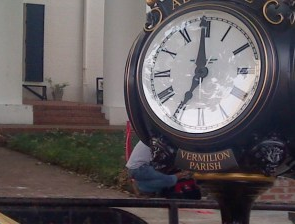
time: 6:59
